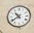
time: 10:39
